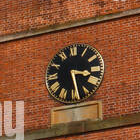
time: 3:28
